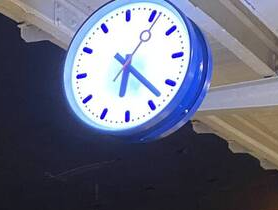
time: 6:22
